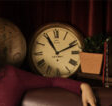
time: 11:11
